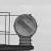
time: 10:20
